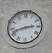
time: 2:42
